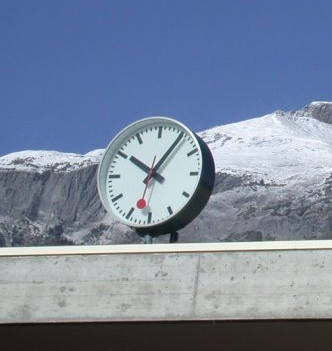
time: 10:05
